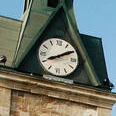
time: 8:09
